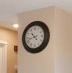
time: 10:42
